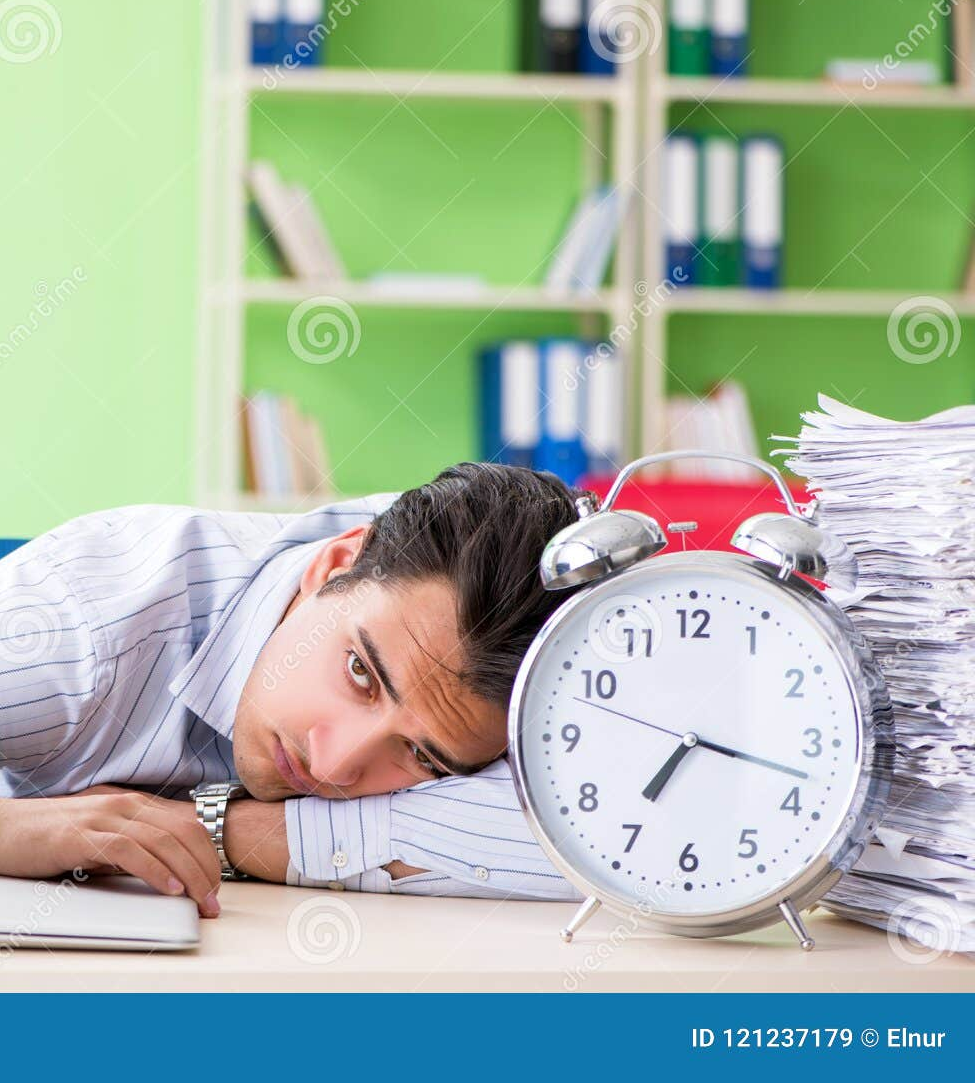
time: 7:17
